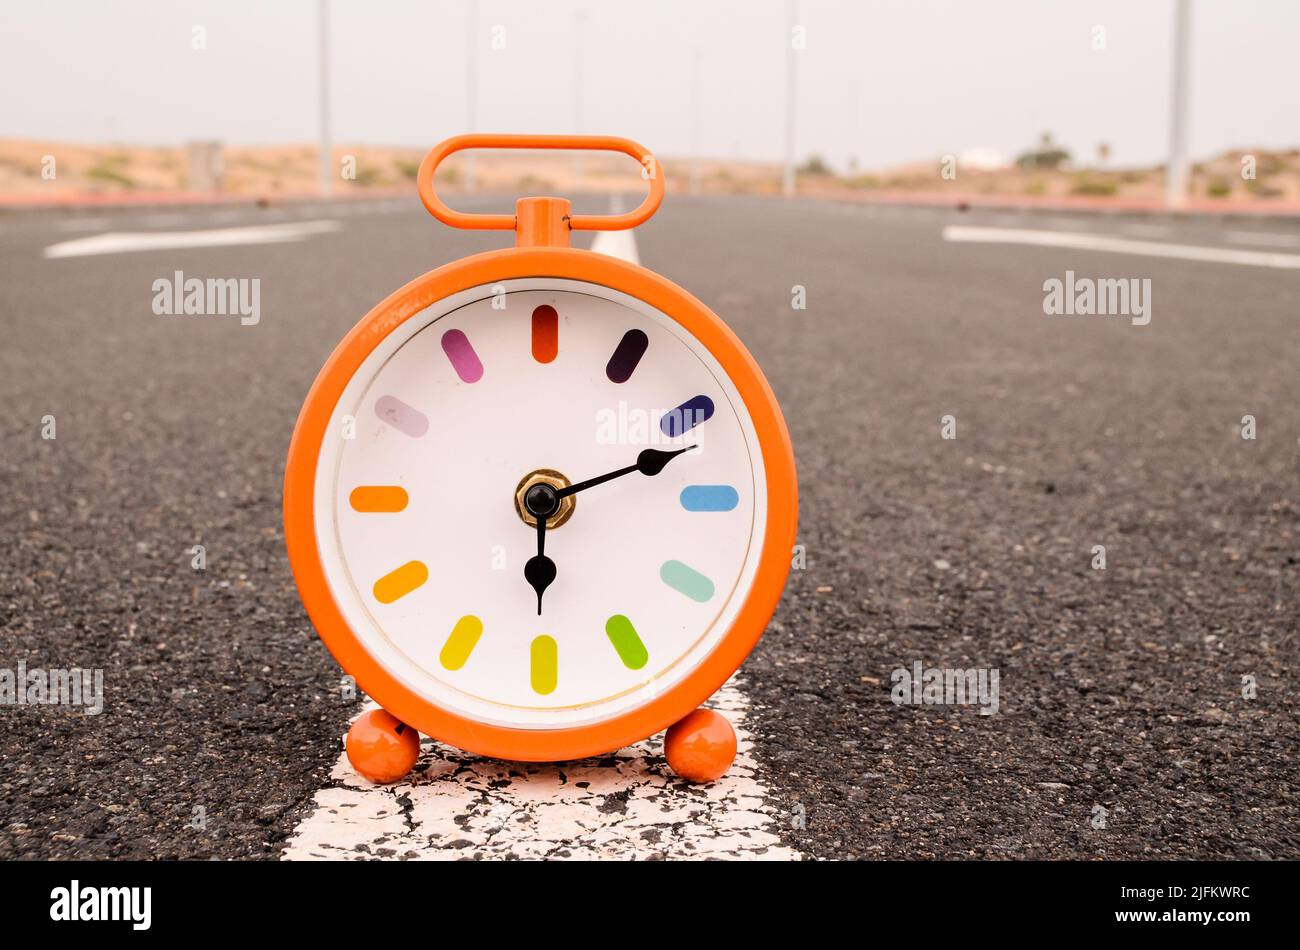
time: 6:11
